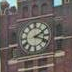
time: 2:18
